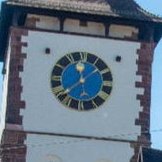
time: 11:38
